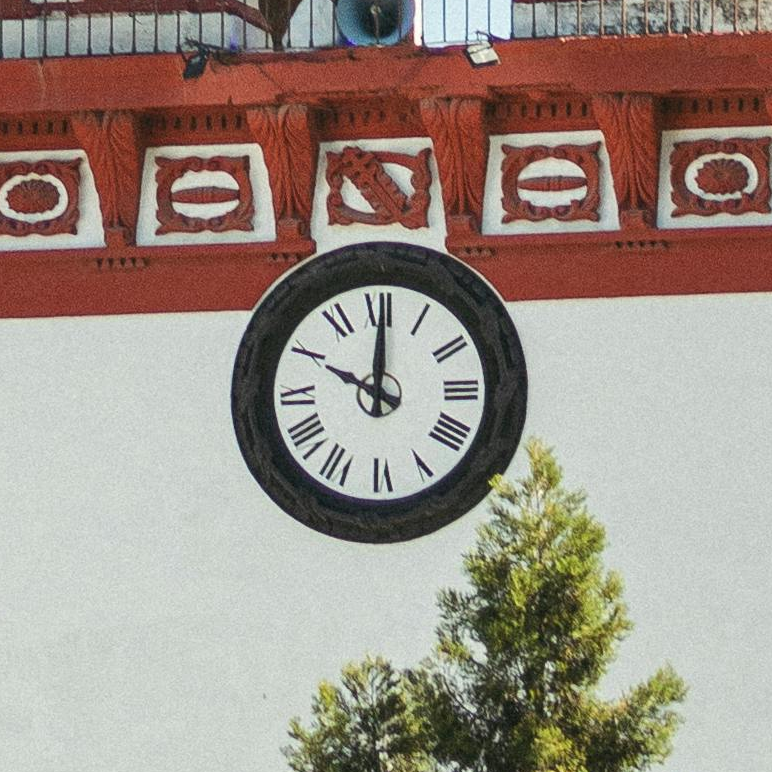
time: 10:00
